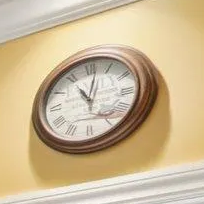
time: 11:01
